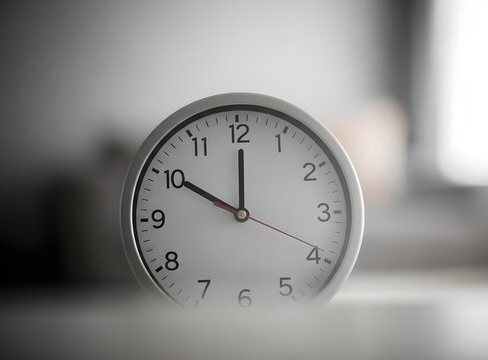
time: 10:00
